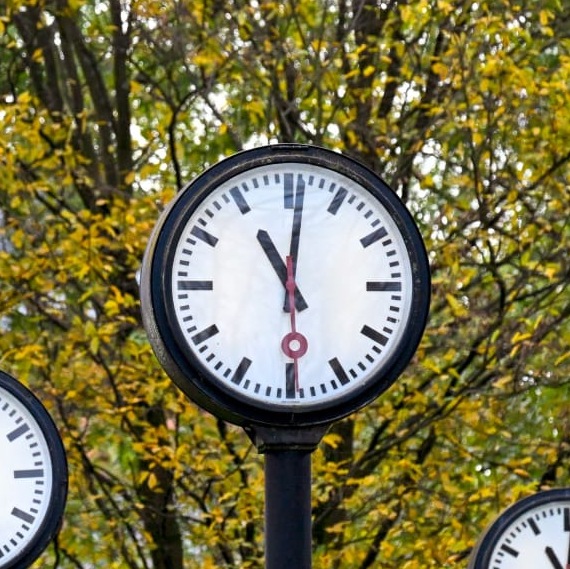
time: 11:01
